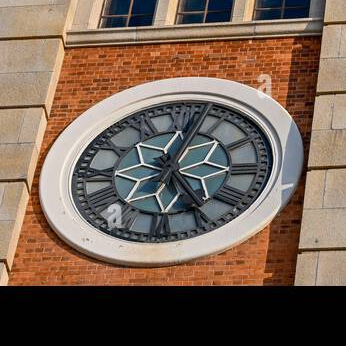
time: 5:03
